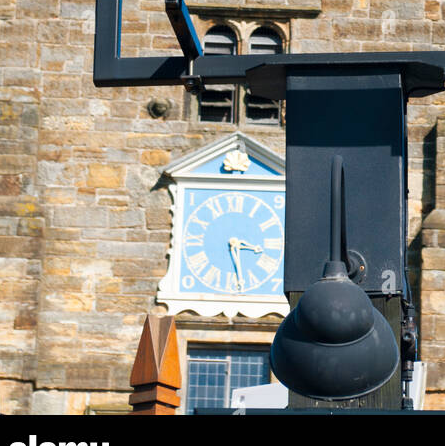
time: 3:27
